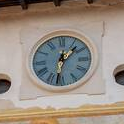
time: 1:32
